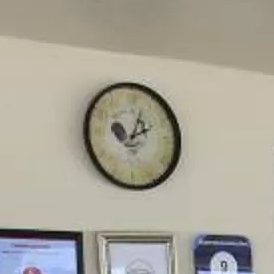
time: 2:03
